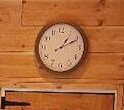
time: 1:10
